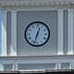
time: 12:32
